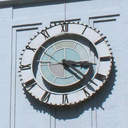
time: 3:22
